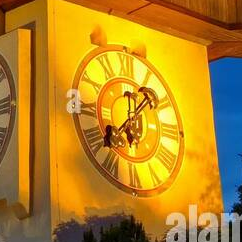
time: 12:07
